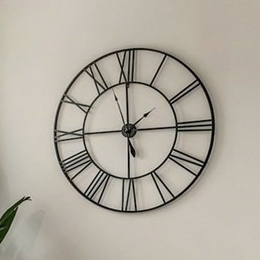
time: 2:59
